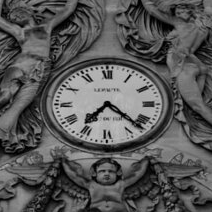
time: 7:22
